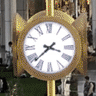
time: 3:38
